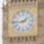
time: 1:44
